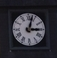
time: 3:02
